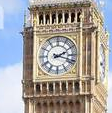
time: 2:18
